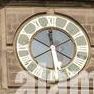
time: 11:28
